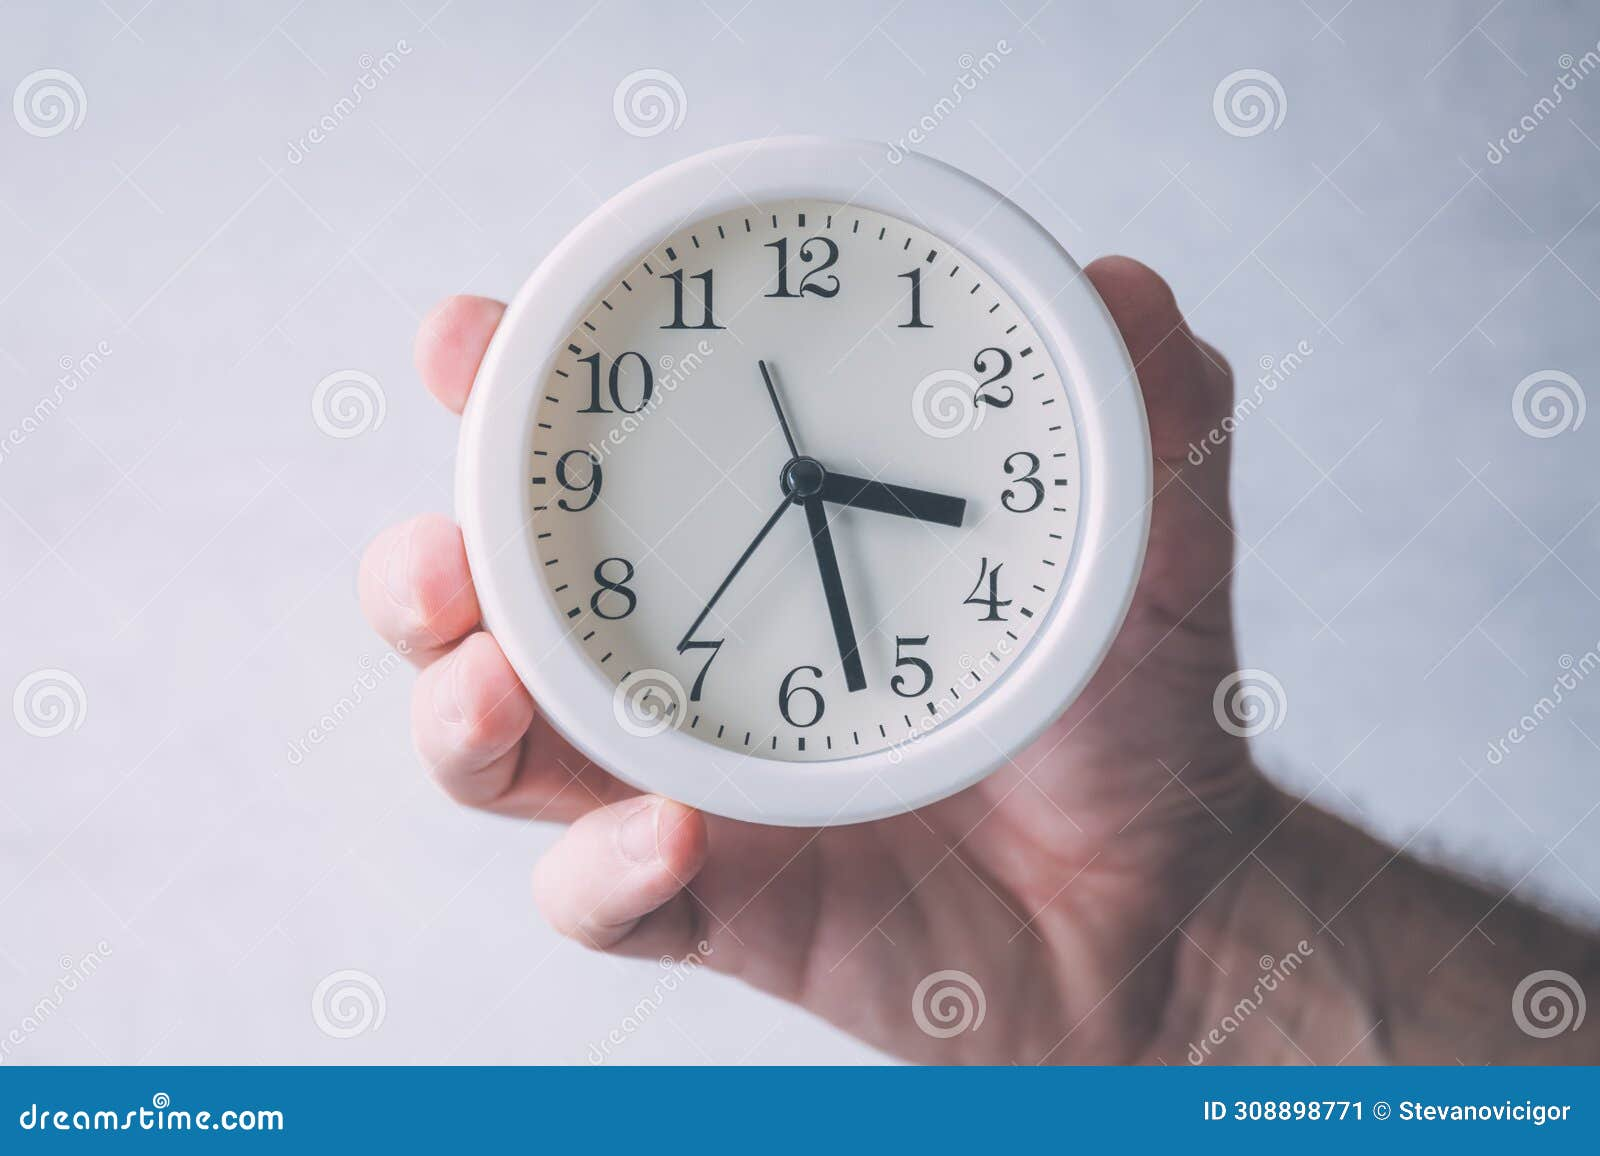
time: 3:27
